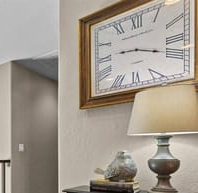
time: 9:18
